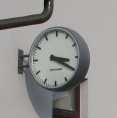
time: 3:19
